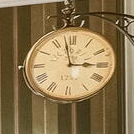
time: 2:57
